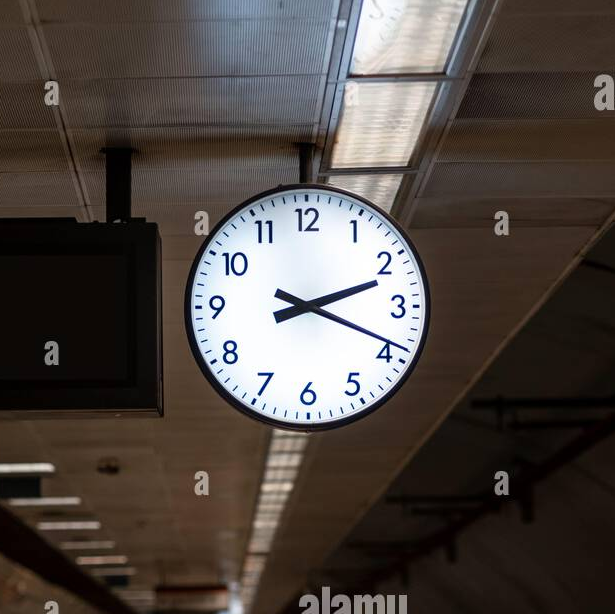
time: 2:18
